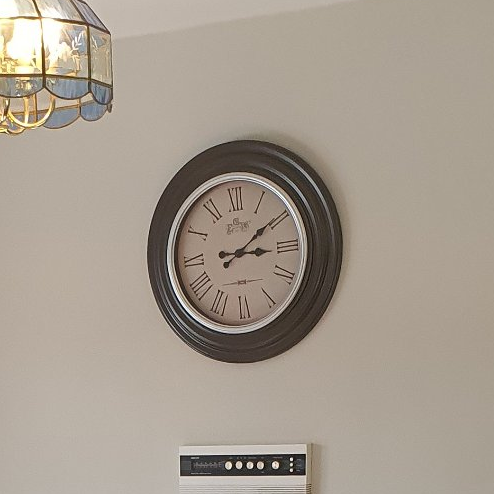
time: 3:09
